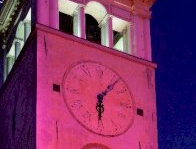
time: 6:06
